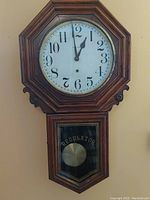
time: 12:59
